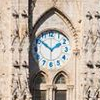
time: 1:51
